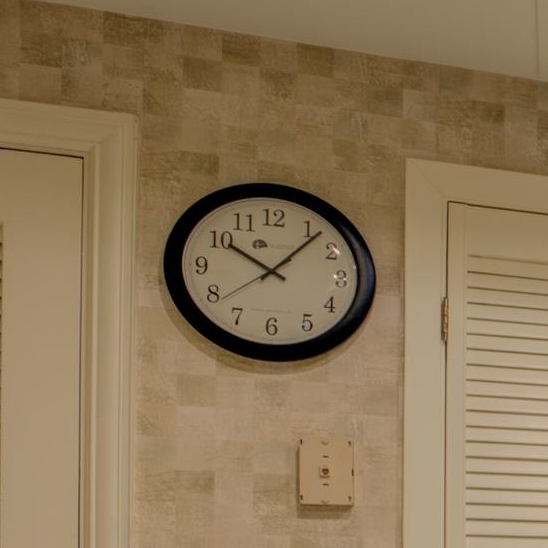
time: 10:07
